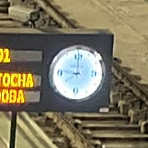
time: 8:59
